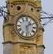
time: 1:28
